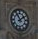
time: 1:54
